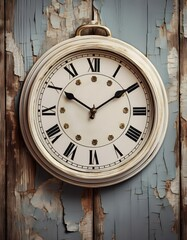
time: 1:50
